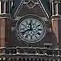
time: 11:40
